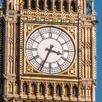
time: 3:34
